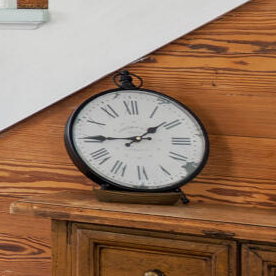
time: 1:45
